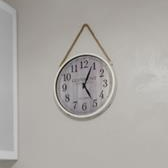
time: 5:04
